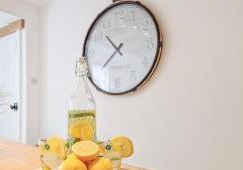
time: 10:37
